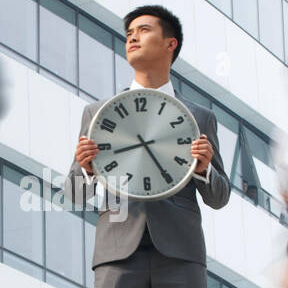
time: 8:25
